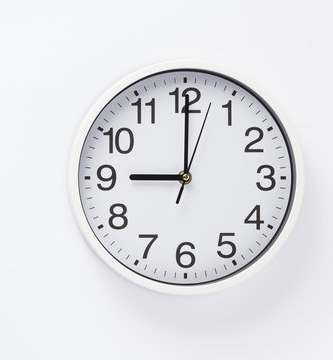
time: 9:00
